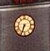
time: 6:33
